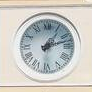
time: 1:12
